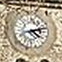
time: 4:12
